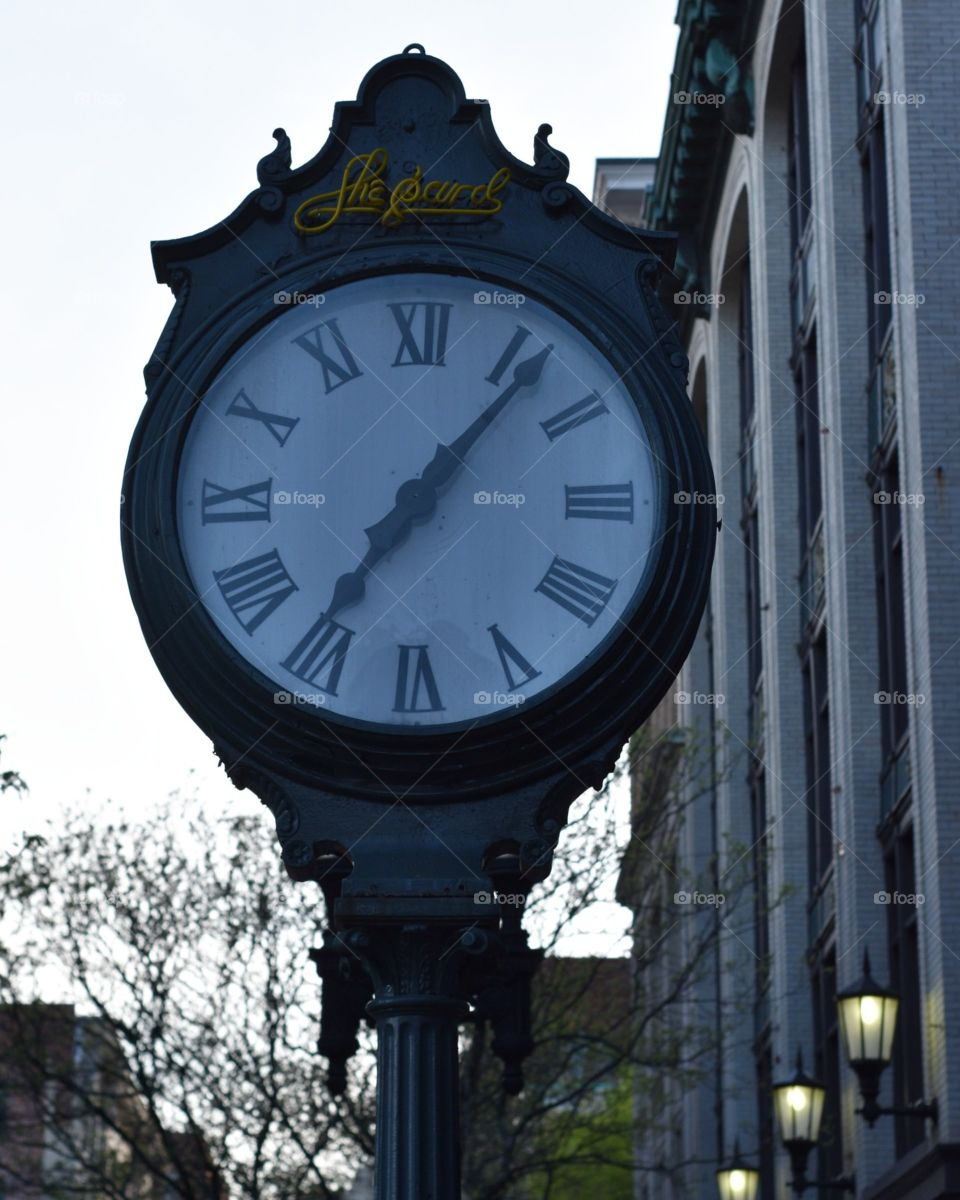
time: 7:07
